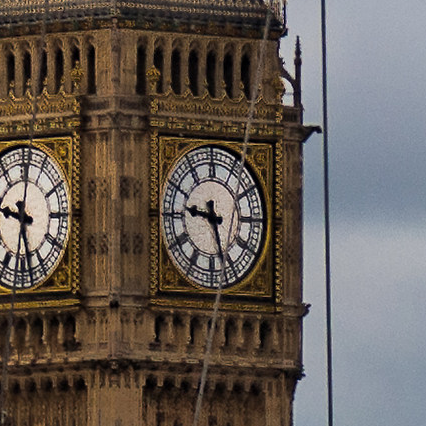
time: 9:27
